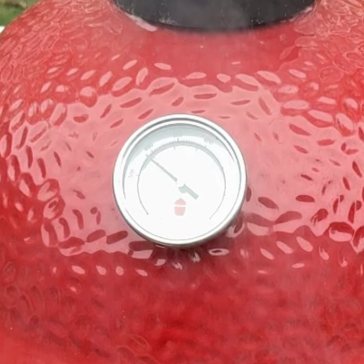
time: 5:53
